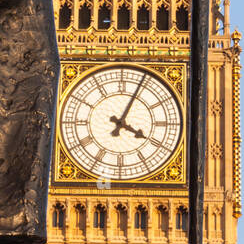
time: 4:04
